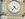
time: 4:34
